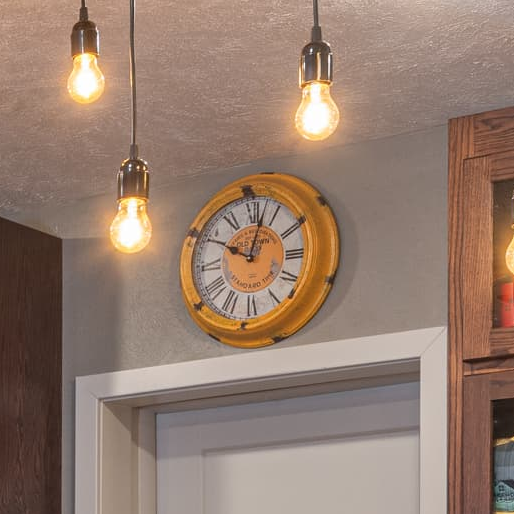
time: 10:02
